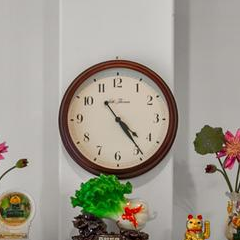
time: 4:23
